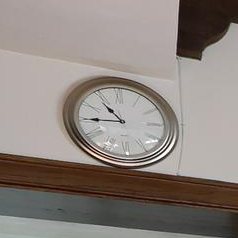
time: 10:44
